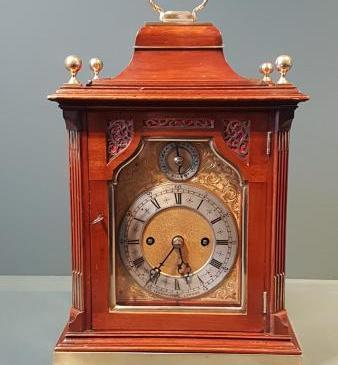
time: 5:36
